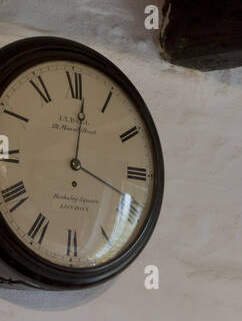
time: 12:18
